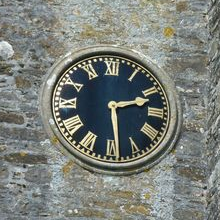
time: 2:28
